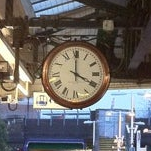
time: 4:00
